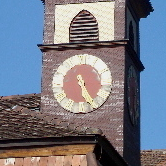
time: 5:25
